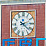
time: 2:21
